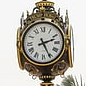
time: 2:25
